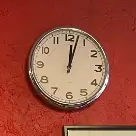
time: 12:02
